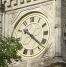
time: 10:22
